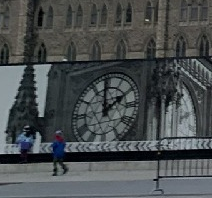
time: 1:59
